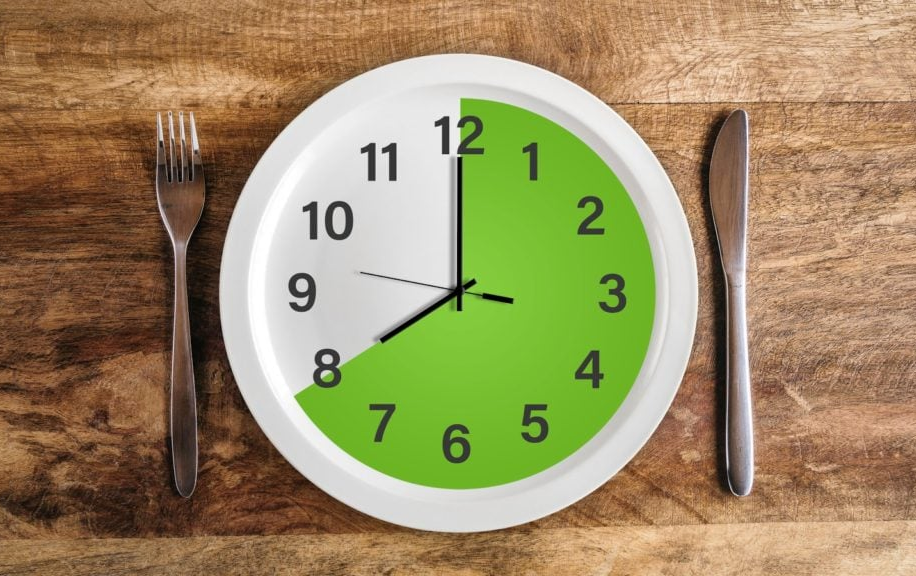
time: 7:59
